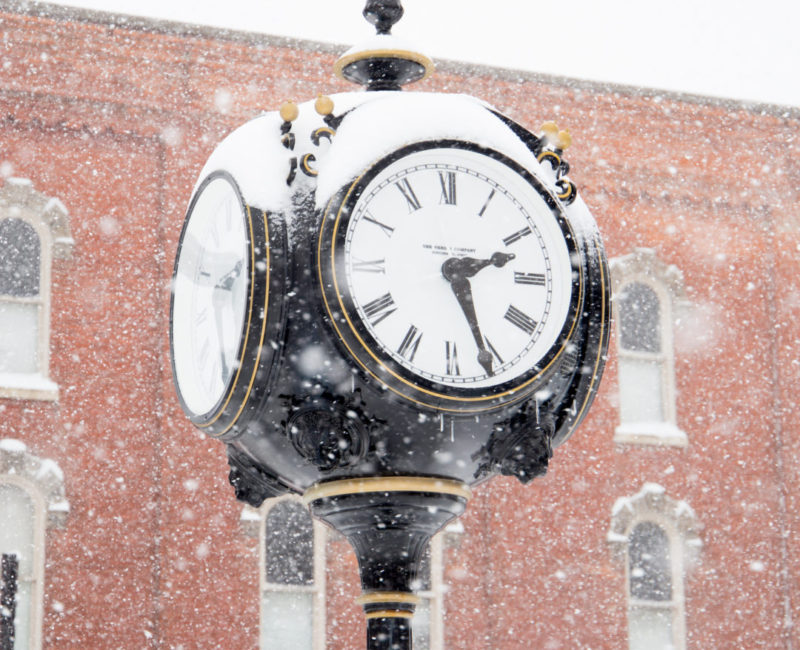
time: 2:25
